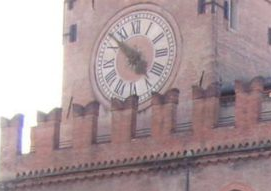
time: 4:52
